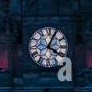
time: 4:04
